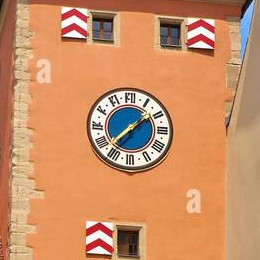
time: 1:37
